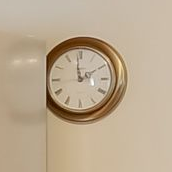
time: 1:58
